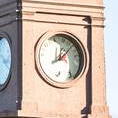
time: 12:06
